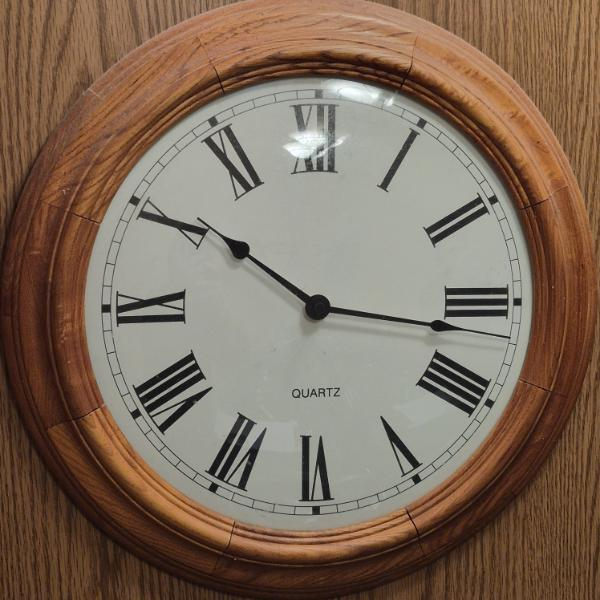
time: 10:16
